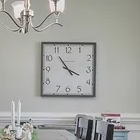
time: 3:54
